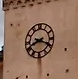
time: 8:18
